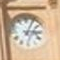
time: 3:04
